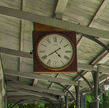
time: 4:39
